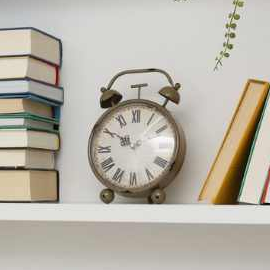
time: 10:07
